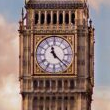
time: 11:22
